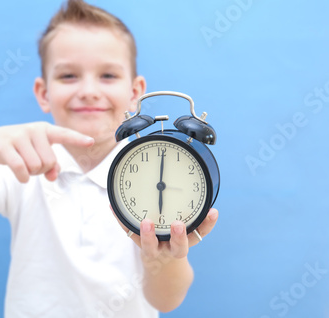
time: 6:00
